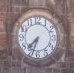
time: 7:33
